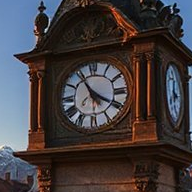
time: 3:54
